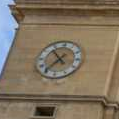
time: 10:36
